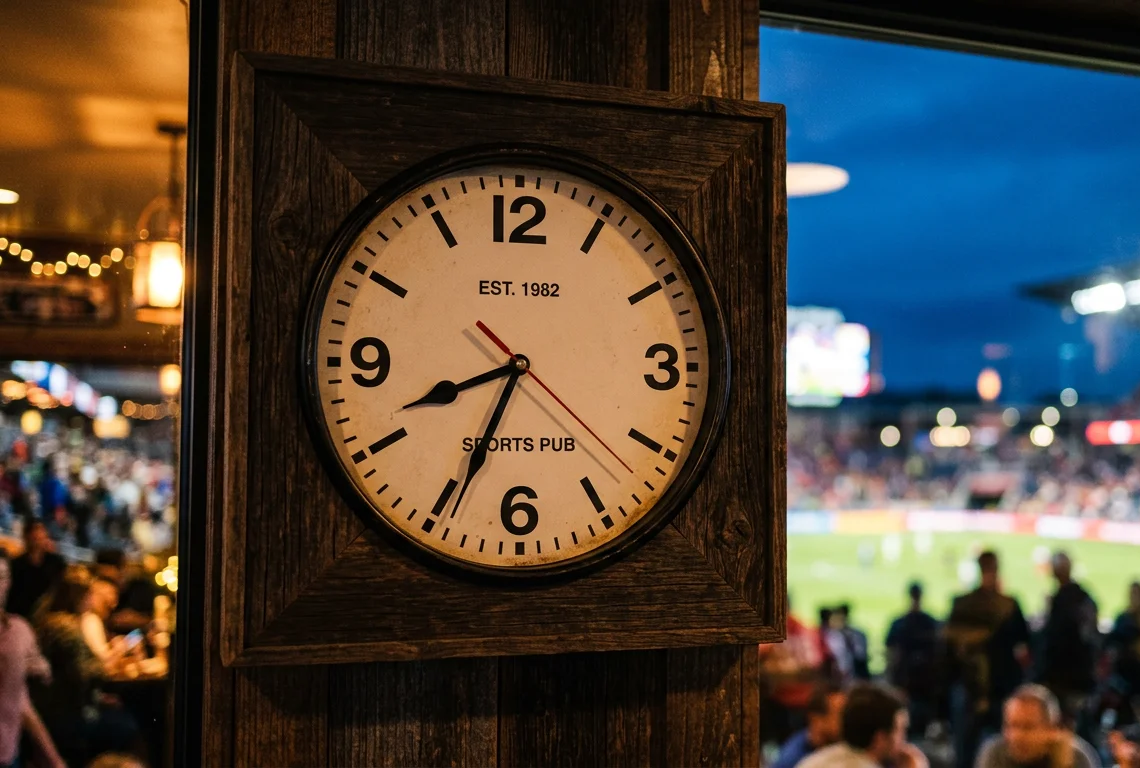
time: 8:34
